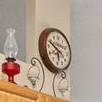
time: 5:48
